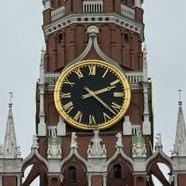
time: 2:22
